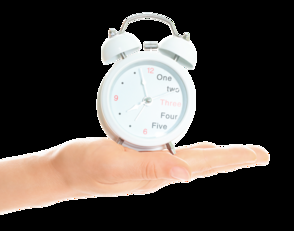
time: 7:57
